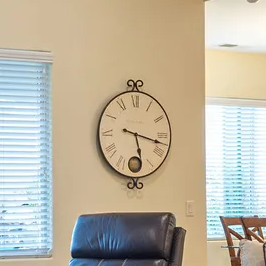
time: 5:17
